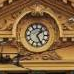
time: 1:25
